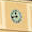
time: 11:42
